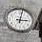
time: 3:02
